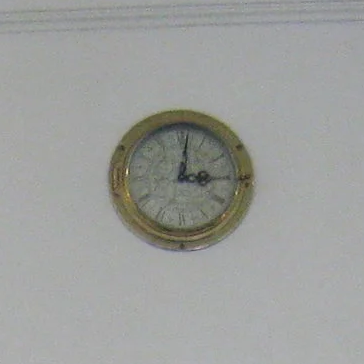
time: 3:01
